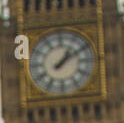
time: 1:09
